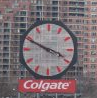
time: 3:49
